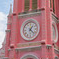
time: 1:22
